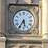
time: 5:35
